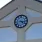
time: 4:16
